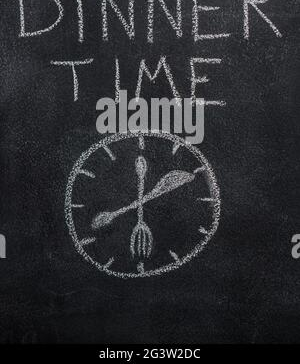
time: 12:10
